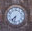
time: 7:32
